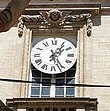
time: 1:26
